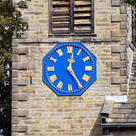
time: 12:24
